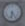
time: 6:23
